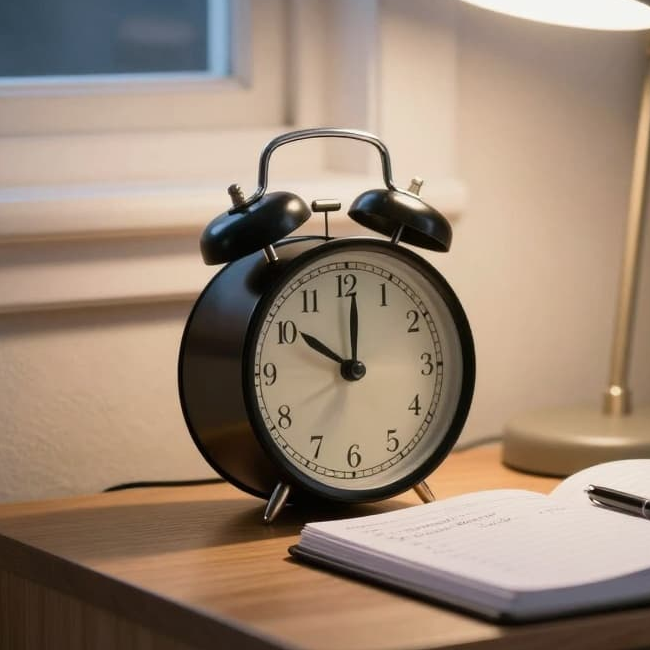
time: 10:00
